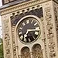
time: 7:15
